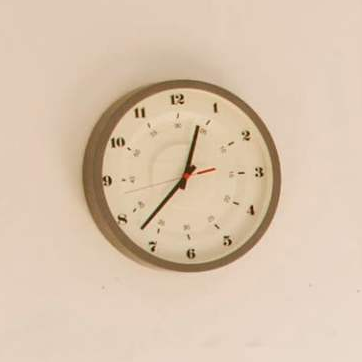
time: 12:37
